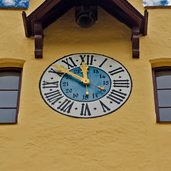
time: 11:49
